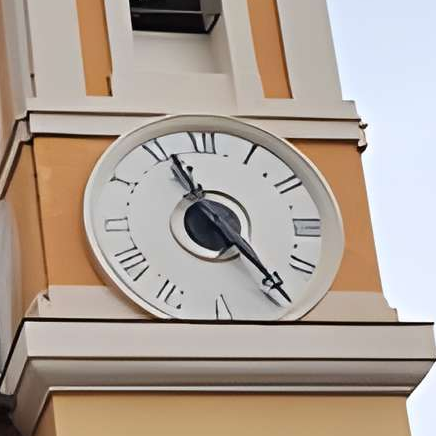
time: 11:23
